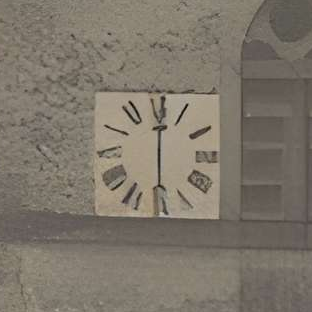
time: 6:00
